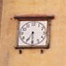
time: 5:35
